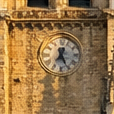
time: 7:25
